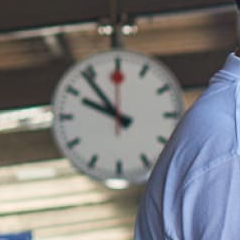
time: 9:53
